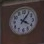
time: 4:06
